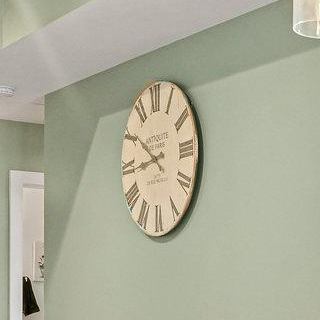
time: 8:50
